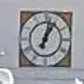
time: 1:02
